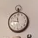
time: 11:46
